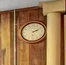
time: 2:09
